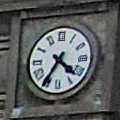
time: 4:35
